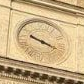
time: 3:48
